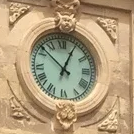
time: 12:52
